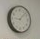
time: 9:07
